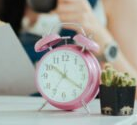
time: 10:21
